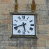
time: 5:41
